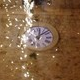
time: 12:07
